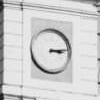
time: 3:14
